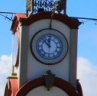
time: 11:52
